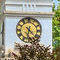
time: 4:32
